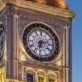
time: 6:12
